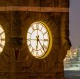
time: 6:23
